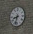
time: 8:32
